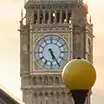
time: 5:24
